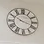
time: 3:50
